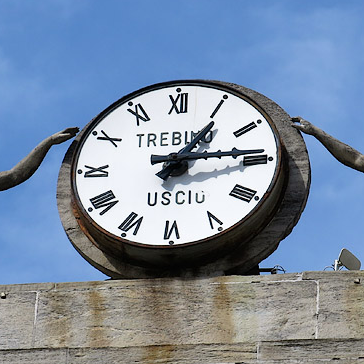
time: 1:13
